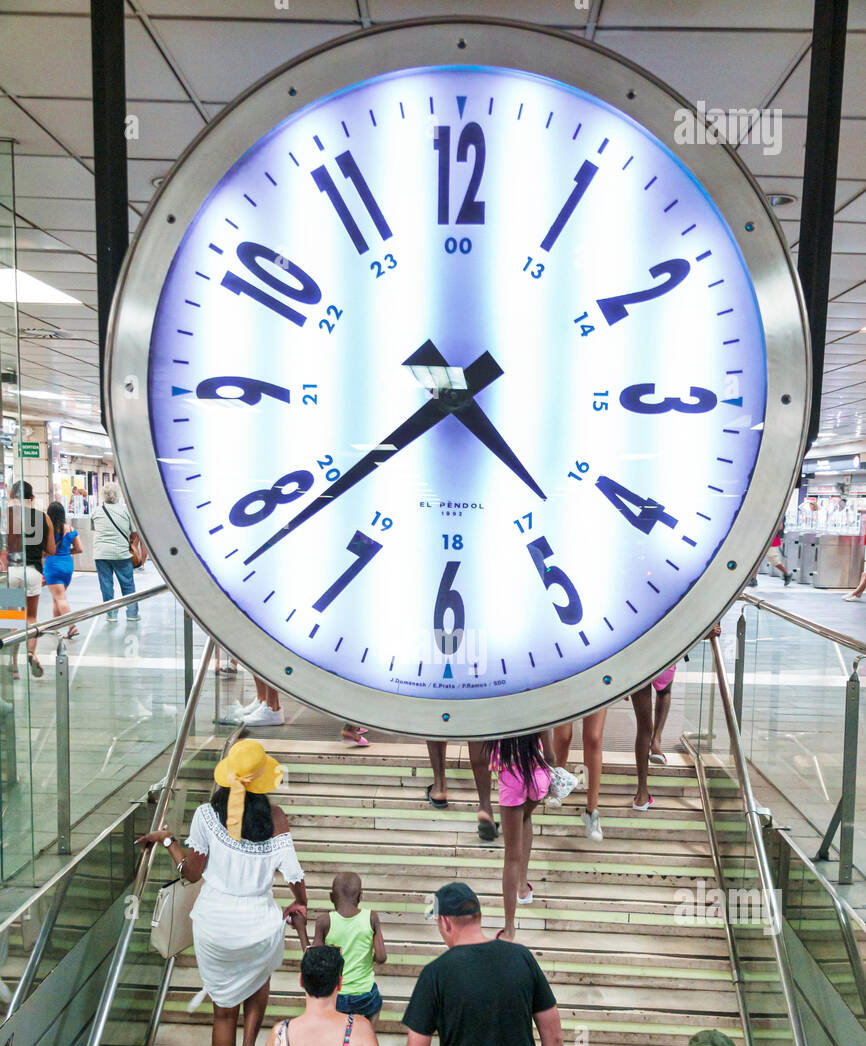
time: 4:38
